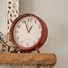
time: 12:56
